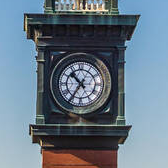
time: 10:35
